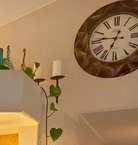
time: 6:46
